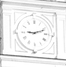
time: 9:11
